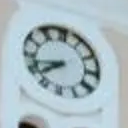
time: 7:42
